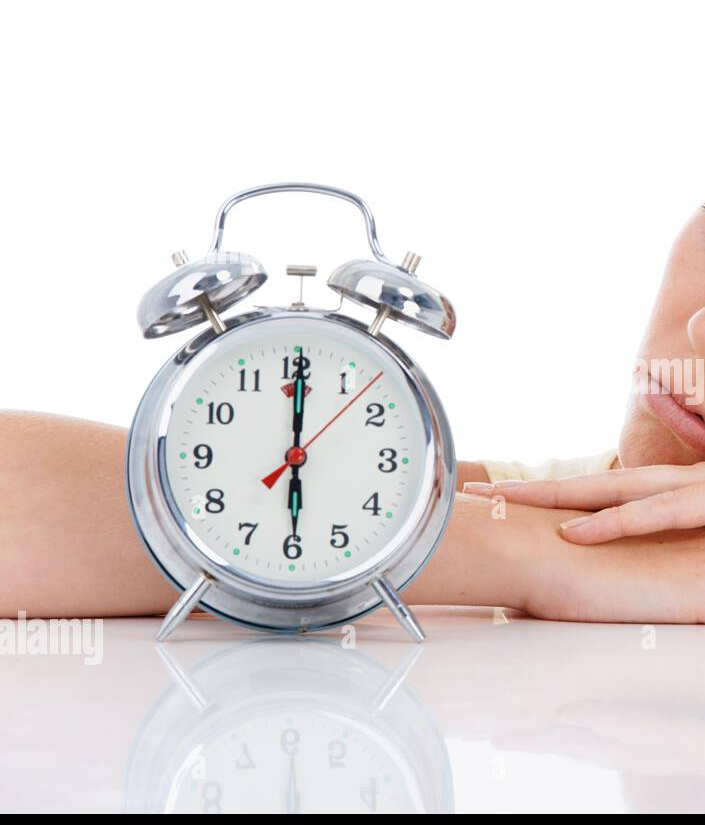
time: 6:00
